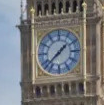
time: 1:37
